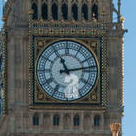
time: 11:13
